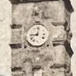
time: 9:01
